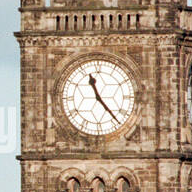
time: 11:23
